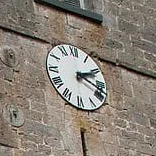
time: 2:18
